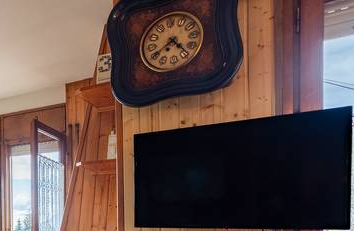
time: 4:40
